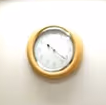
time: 4:21
